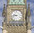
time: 9:43
